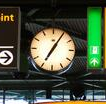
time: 7:05
